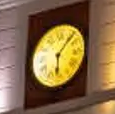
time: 6:06
